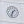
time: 1:32
